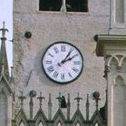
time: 2:06
